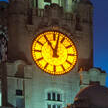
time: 11:02
